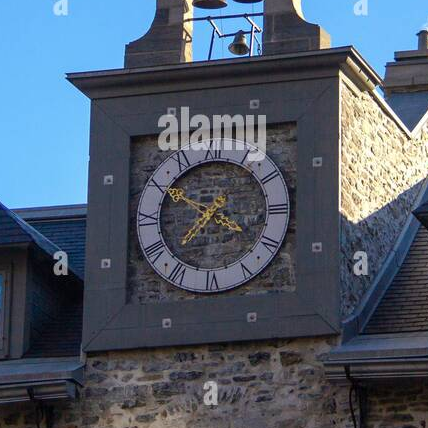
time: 3:50
